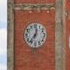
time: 12:36
